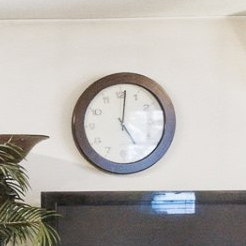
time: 5:01
